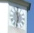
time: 11:32
